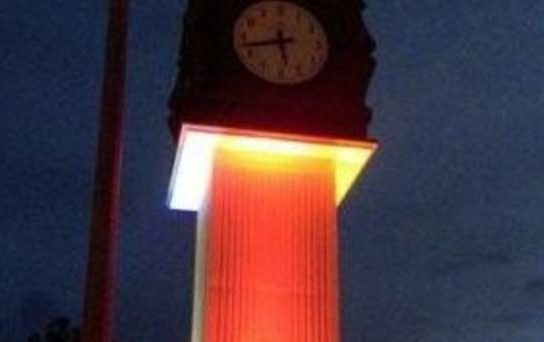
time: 5:42
